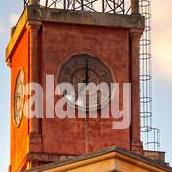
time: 12:00
